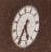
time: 5:35
